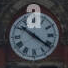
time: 10:21
